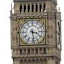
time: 3:28
